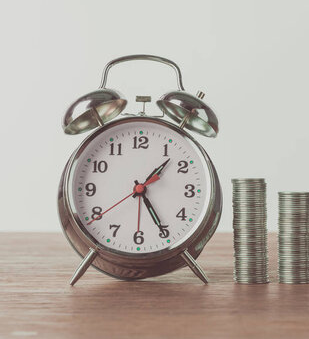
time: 1:24
